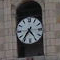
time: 4:36
